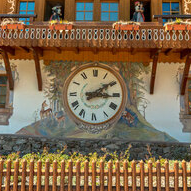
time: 3:09
